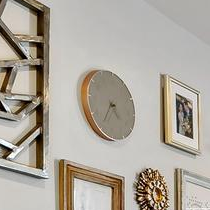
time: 4:35
